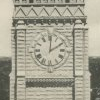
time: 2:00
